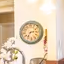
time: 7:13
